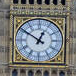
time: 12:50
